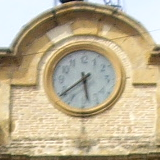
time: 5:38
